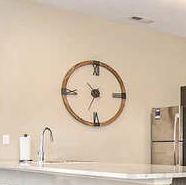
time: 10:33
